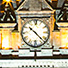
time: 10:22
